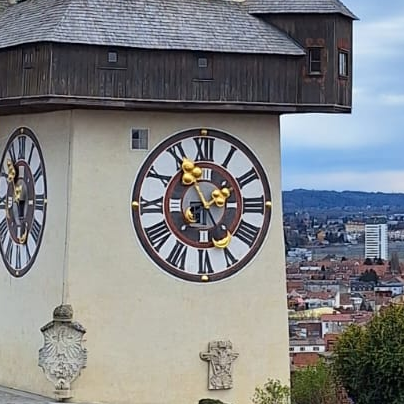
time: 1:54
